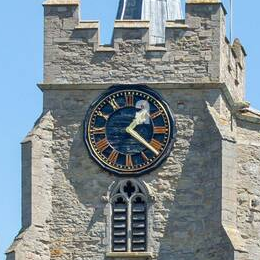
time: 1:21
